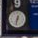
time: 12:32
